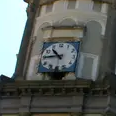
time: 10:44
